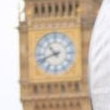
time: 10:41
